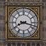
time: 8:17
